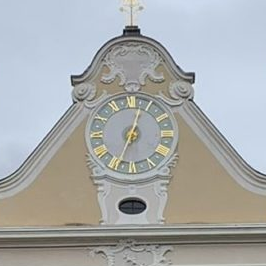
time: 12:34
